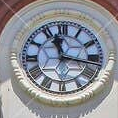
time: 11:16
